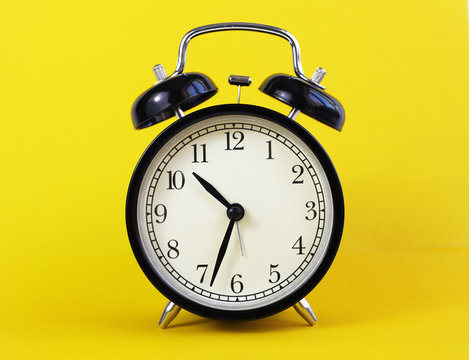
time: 10:33
